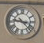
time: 9:22
